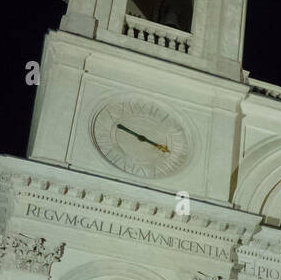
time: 3:48
